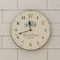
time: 11:42
